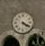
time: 4:20
